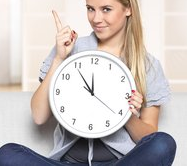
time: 11:54
